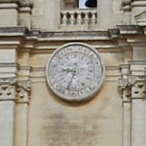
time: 8:33
